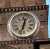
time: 12:33
